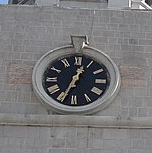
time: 12:34
